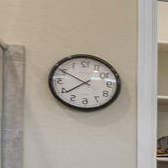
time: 7:50
